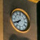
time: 7:40
